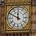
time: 11:49
